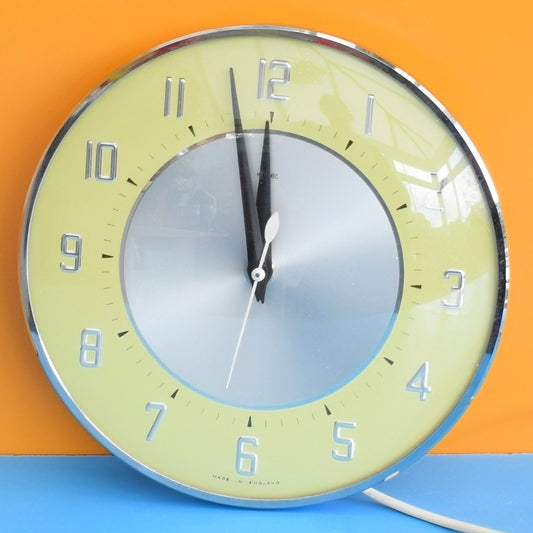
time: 11:58
